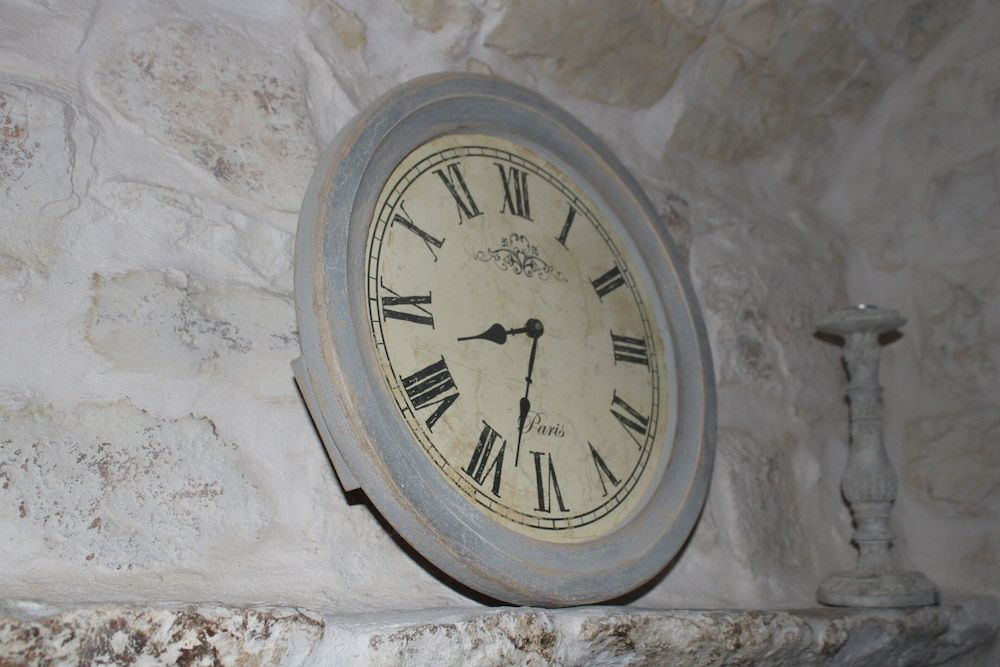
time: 8:32
